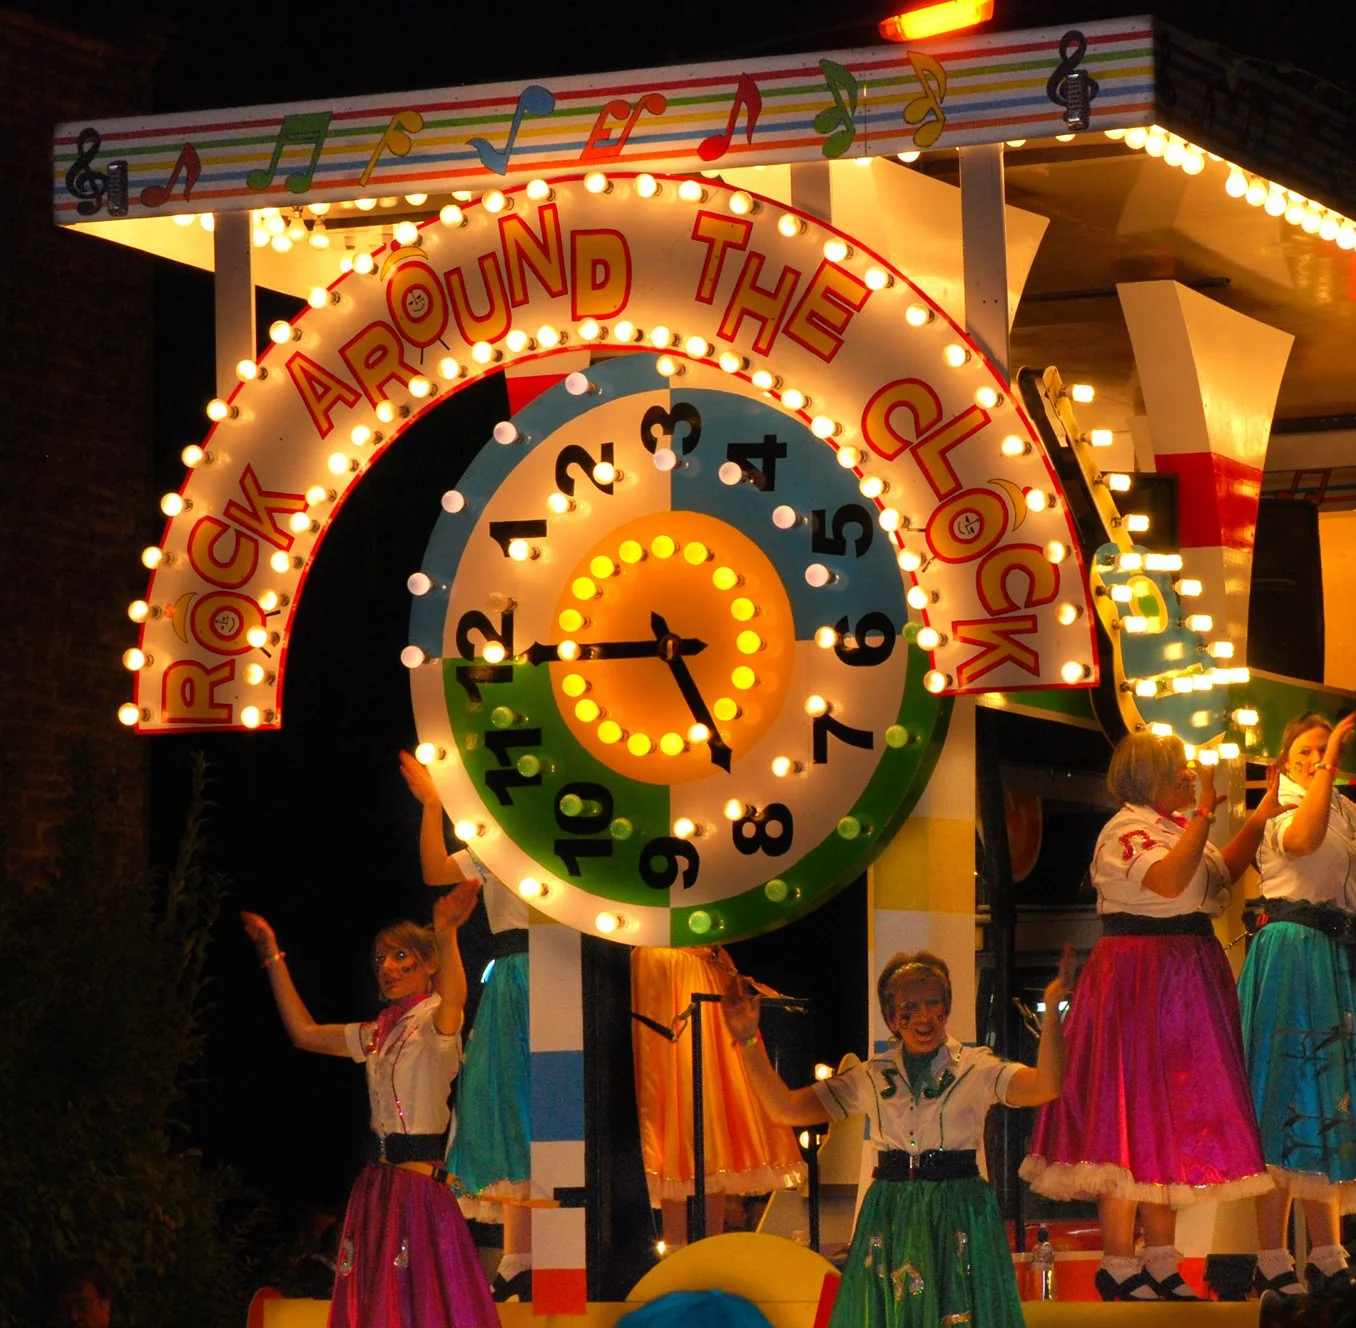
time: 4:44
